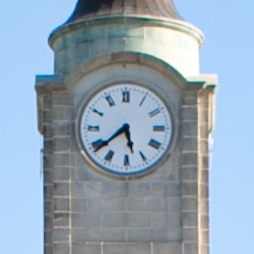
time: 5:38
